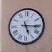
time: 5:15
